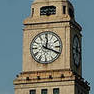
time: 12:18
